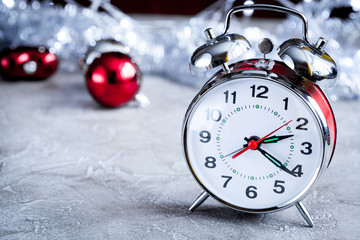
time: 2:21
